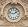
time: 1:47
